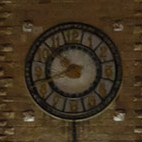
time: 10:41
